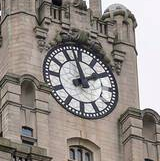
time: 1:57
